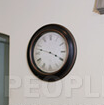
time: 3:47
